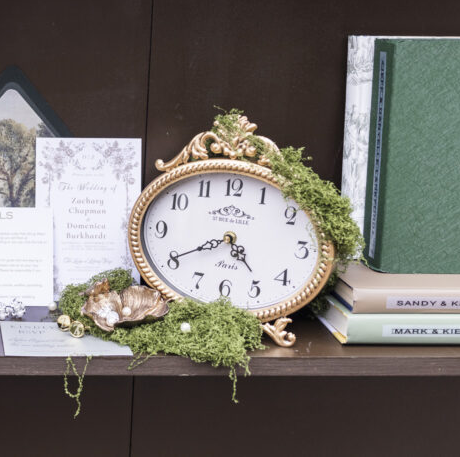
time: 4:40
